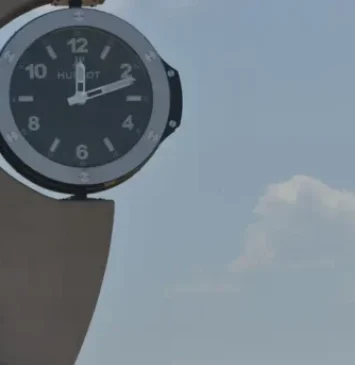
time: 12:11
